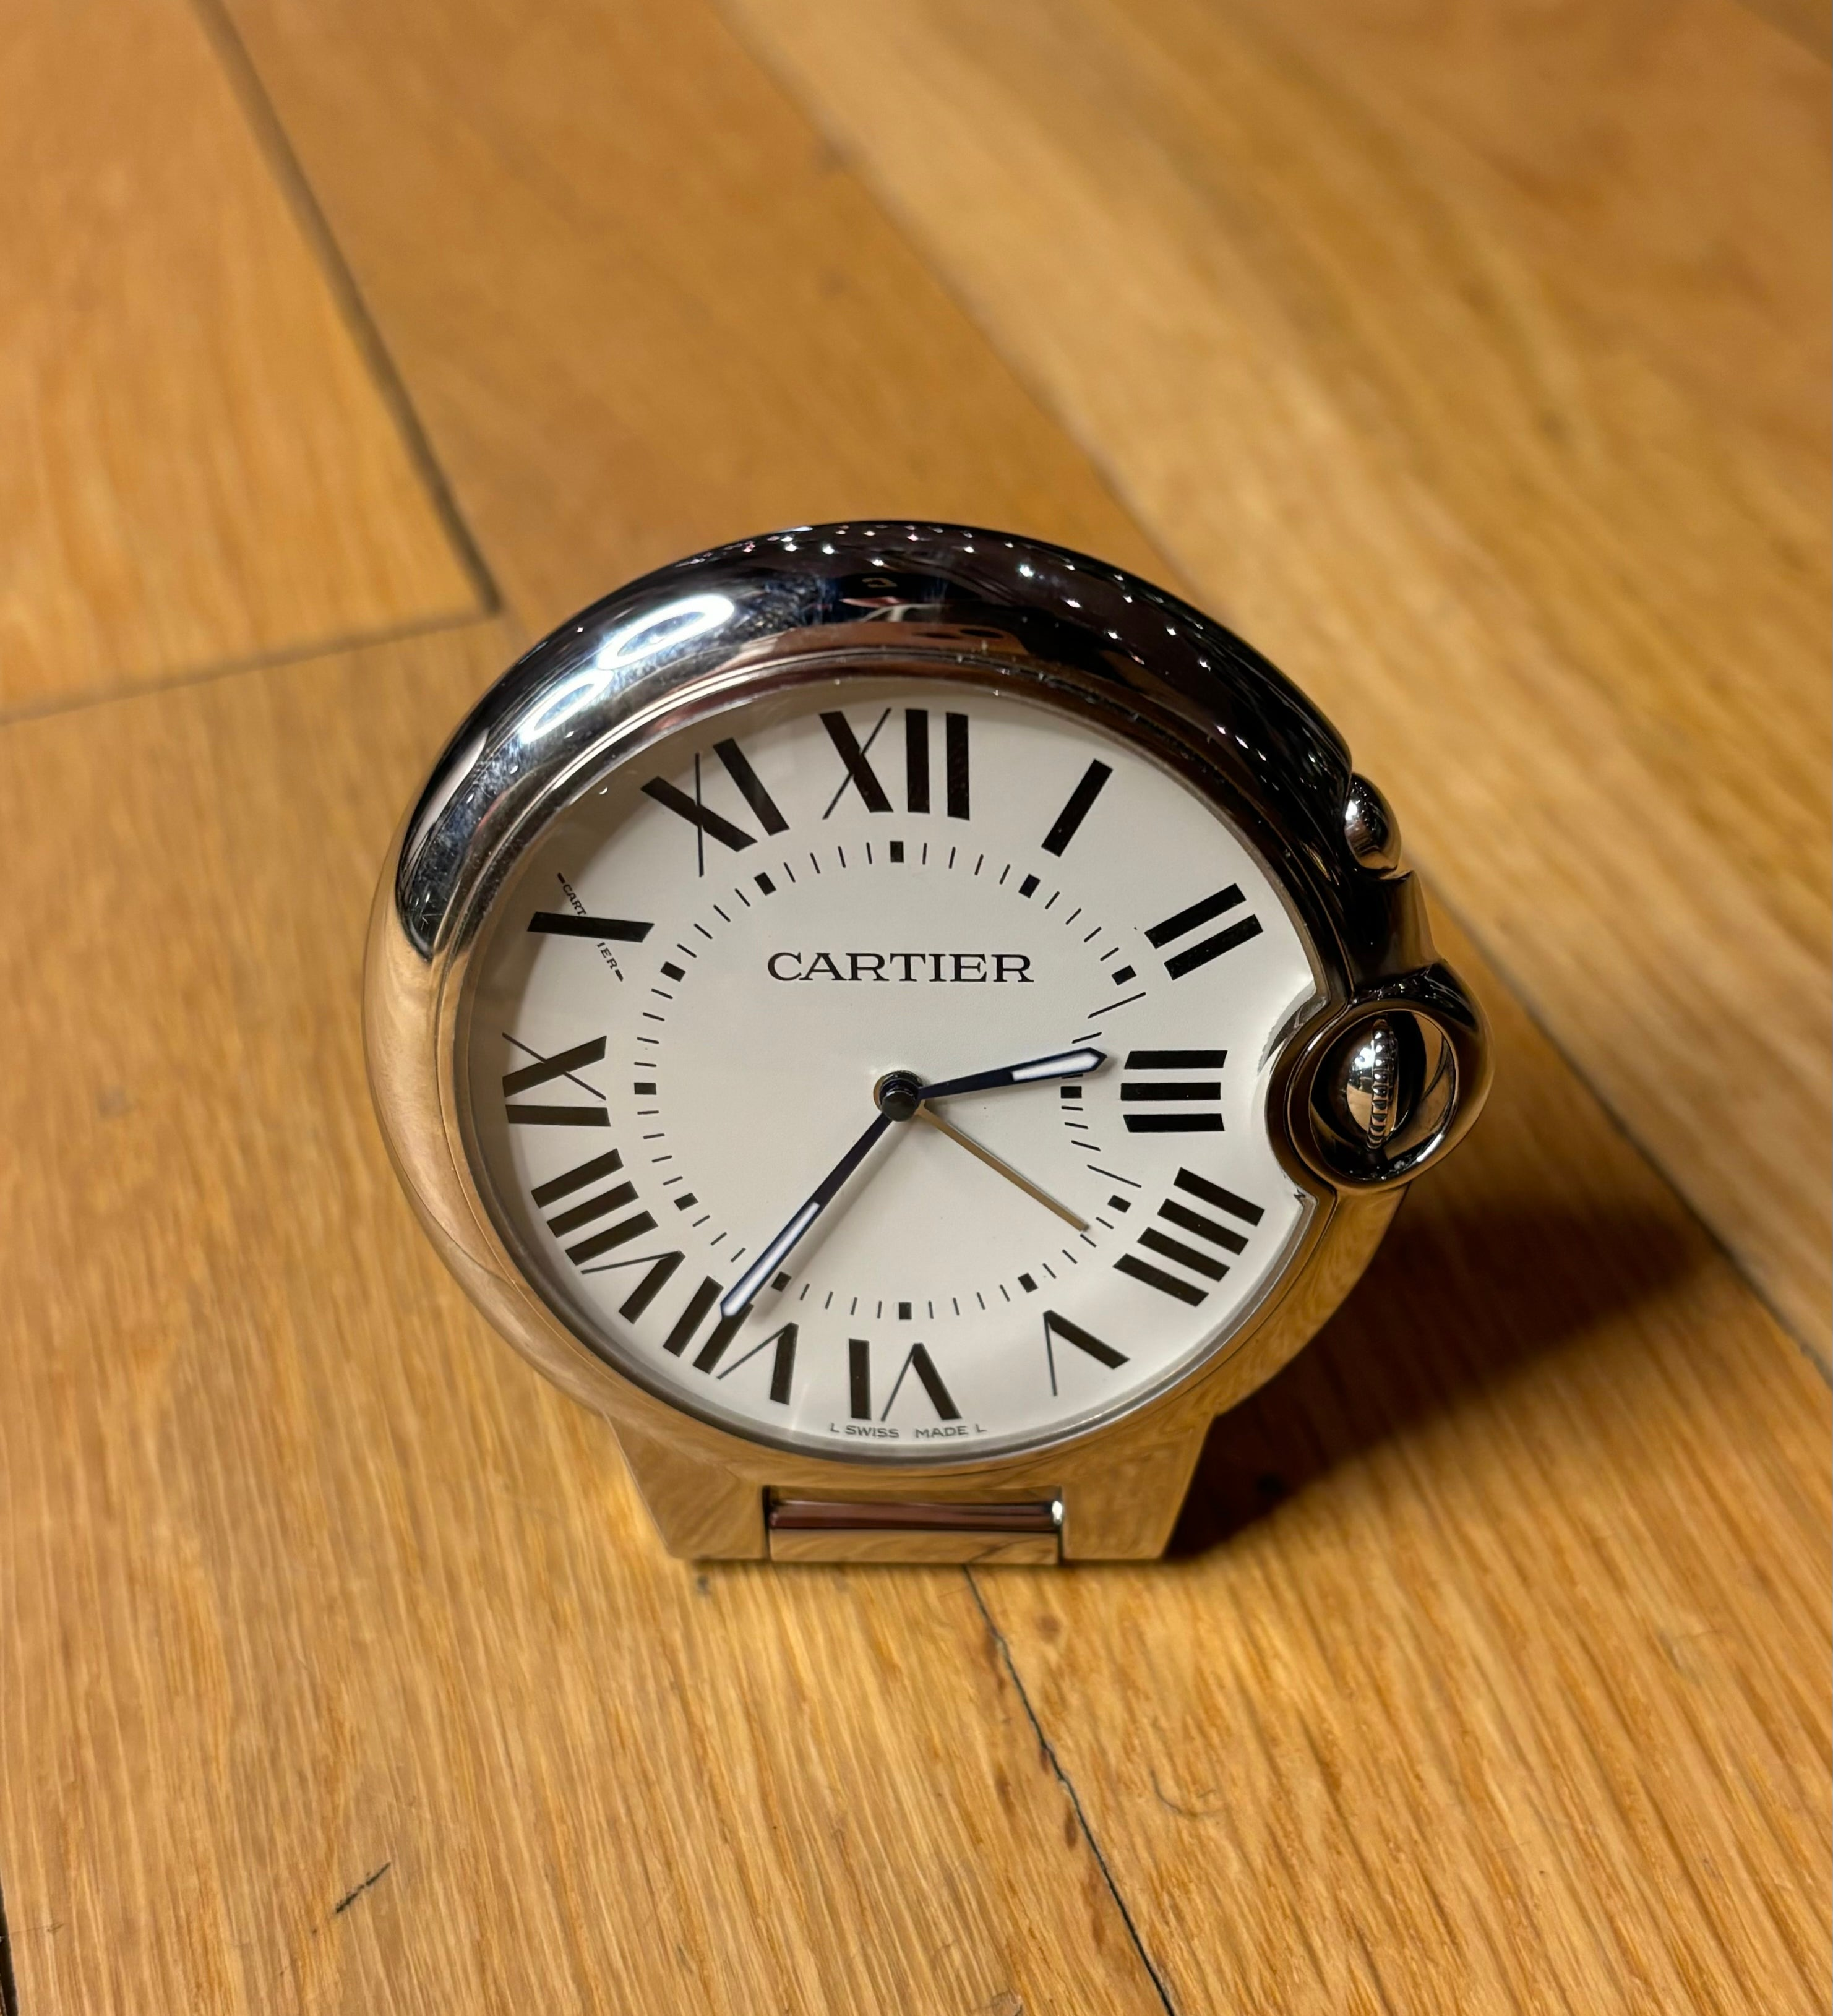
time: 2:35
